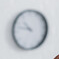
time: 10:47
